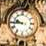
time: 9:44
